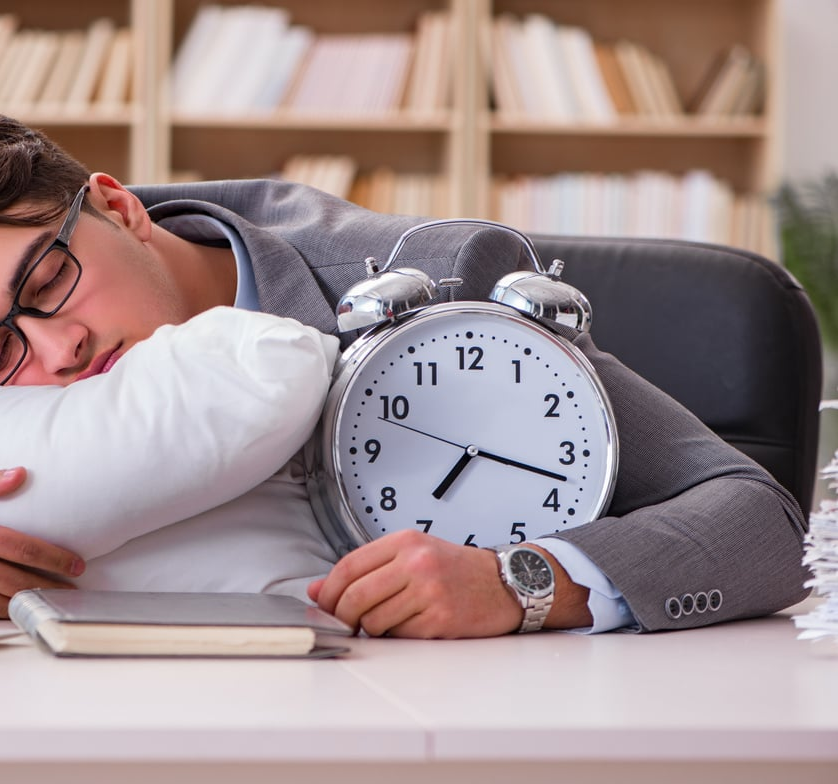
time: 7:17
